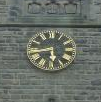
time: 5:43
